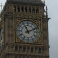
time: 11:11
